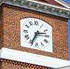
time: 2:34
